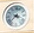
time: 3:37
